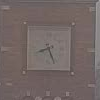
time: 8:26
